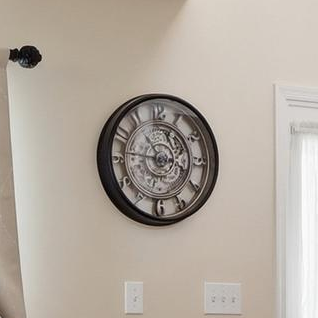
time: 3:46
